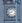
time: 8:40
